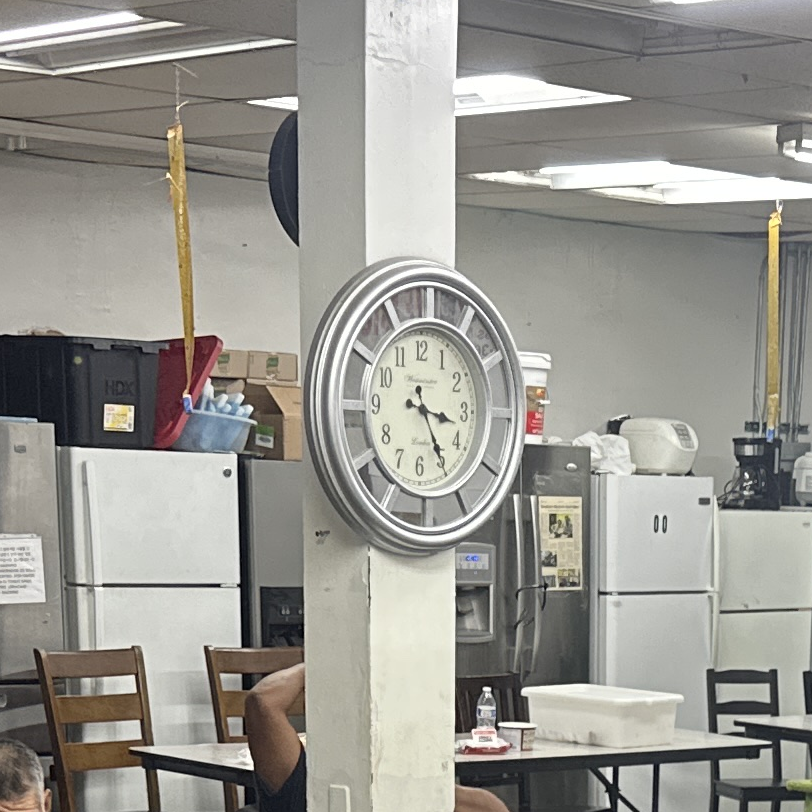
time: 3:24
